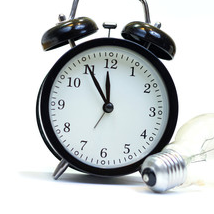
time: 11:54
